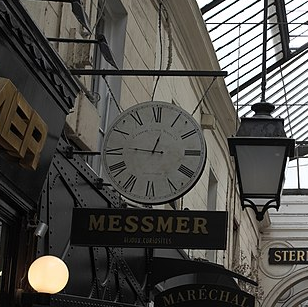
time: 12:46
